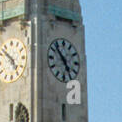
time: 4:52
